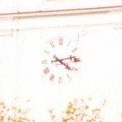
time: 4:13
